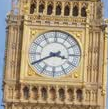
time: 3:40
